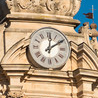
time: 12:09
